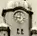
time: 9:01
